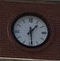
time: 1:29
